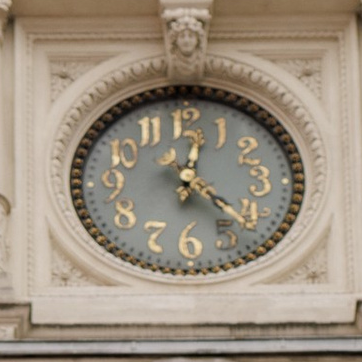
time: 12:22
